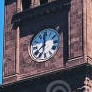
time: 11:37
